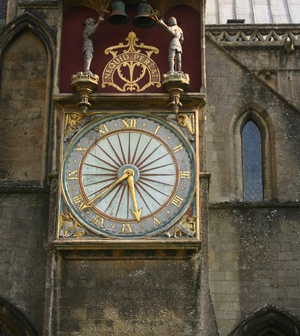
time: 5:38
